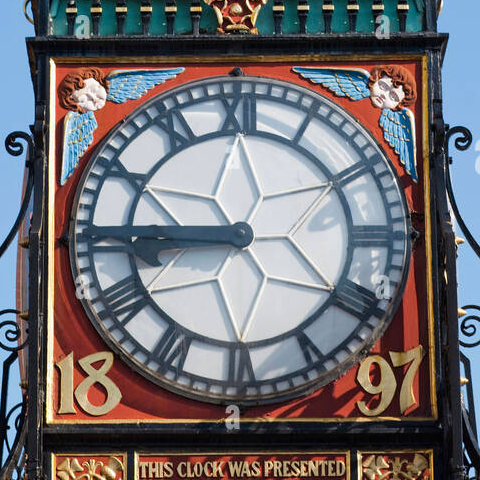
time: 8:45
